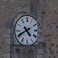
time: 4:40
